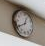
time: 12:40
